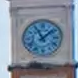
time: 11:07
